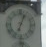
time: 7:04
